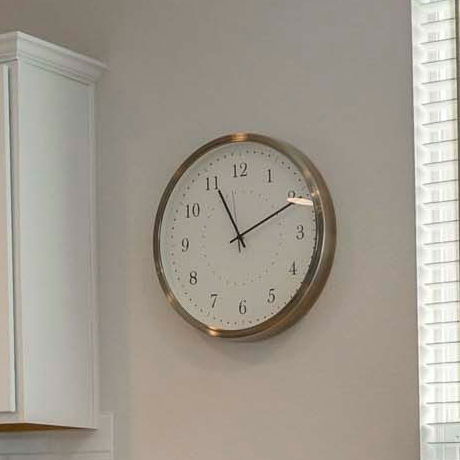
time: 11:10
